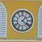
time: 1:21
